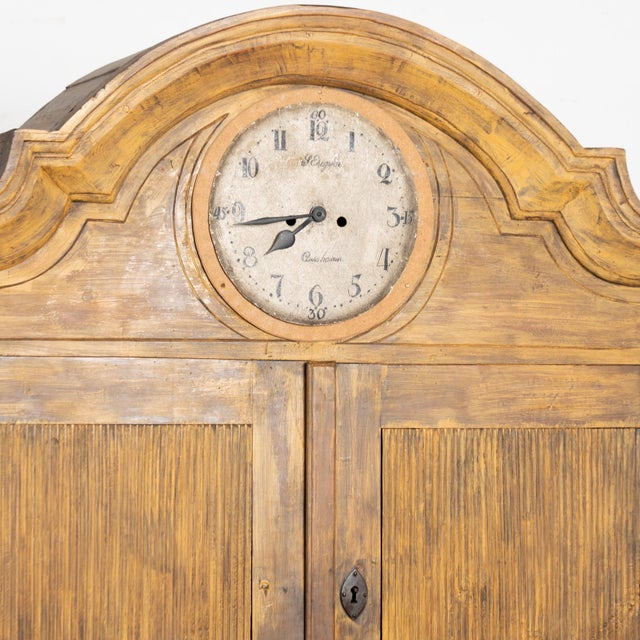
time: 7:43
